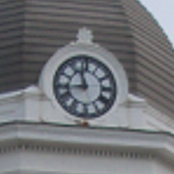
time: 11:43
